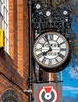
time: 7:55
